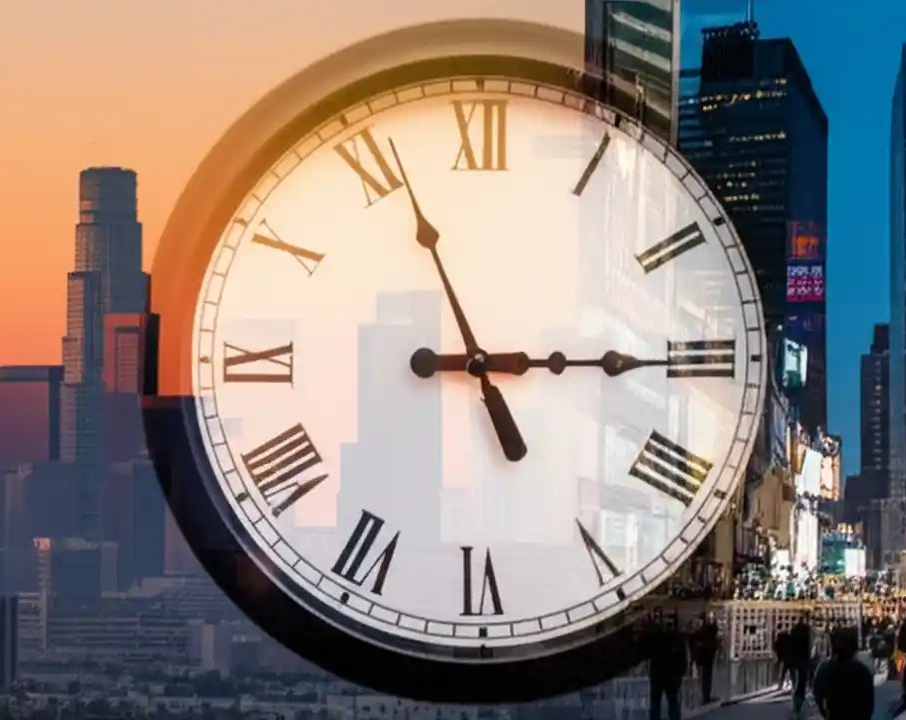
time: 5:14
